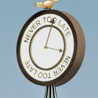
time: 3:02
